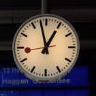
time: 12:57
